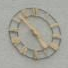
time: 4:52
